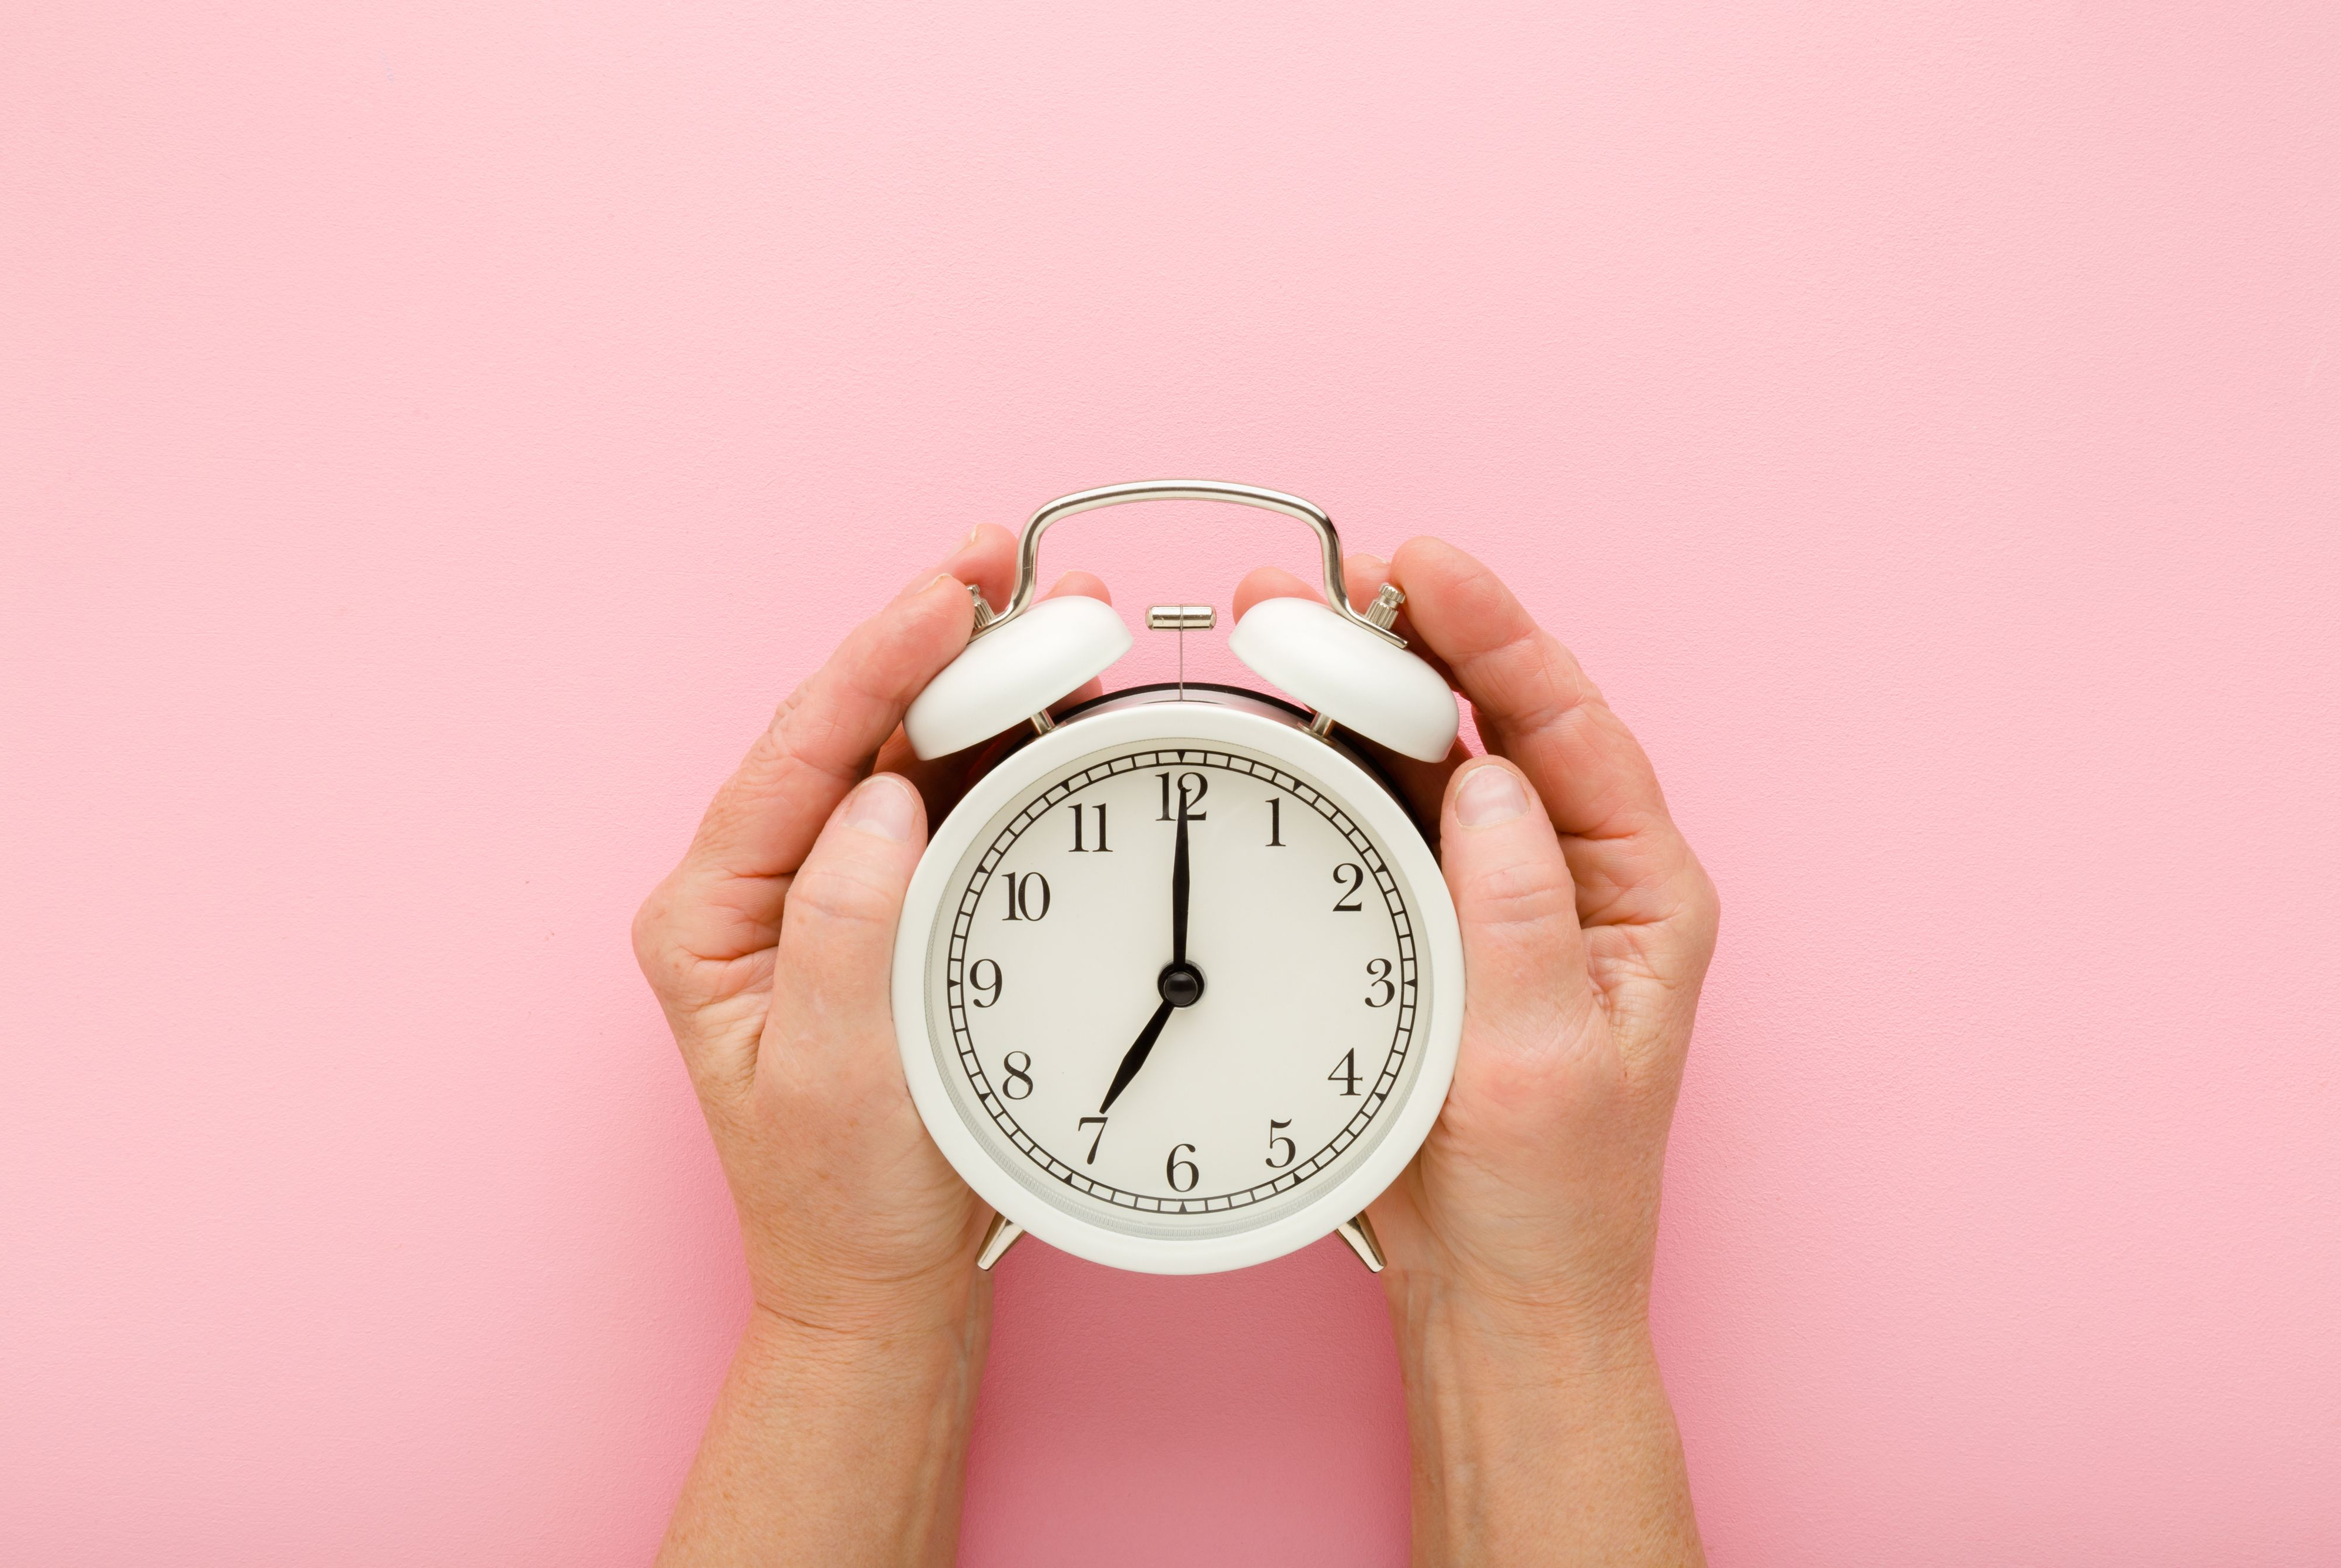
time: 7:00
